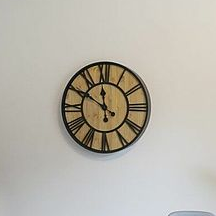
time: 11:50
